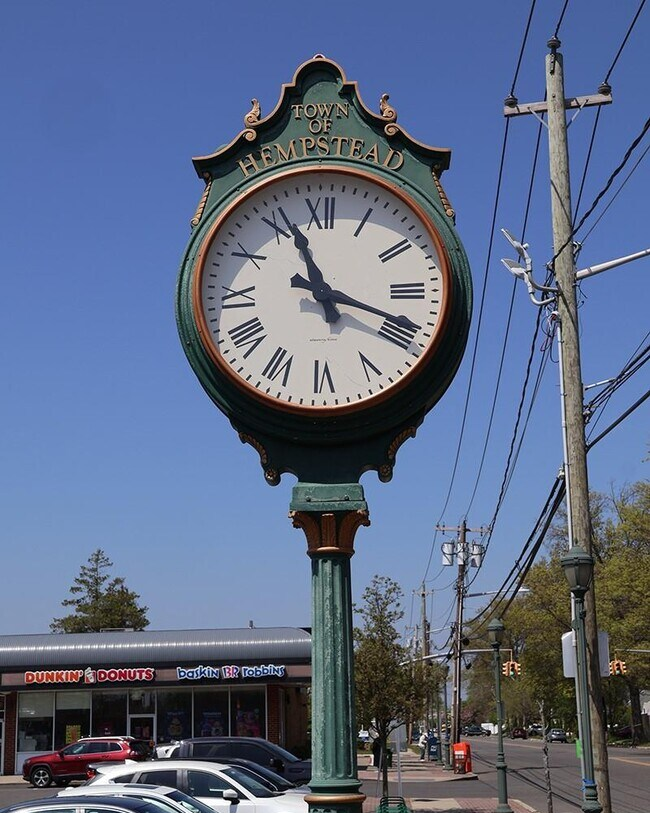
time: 11:18
